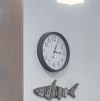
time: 3:04
